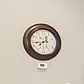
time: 7:43
